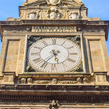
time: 5:36
